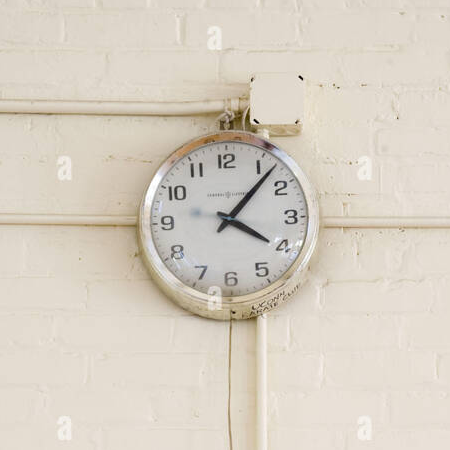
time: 4:07
